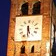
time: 5:30
